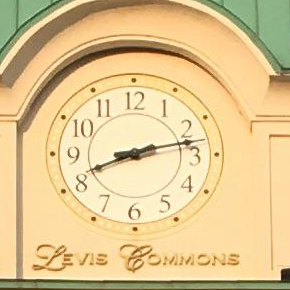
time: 8:12
